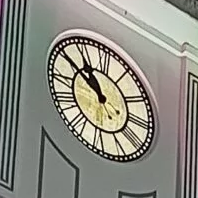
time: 10:50
